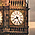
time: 8:25
